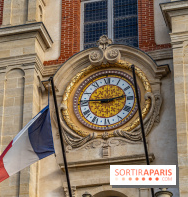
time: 2:46
